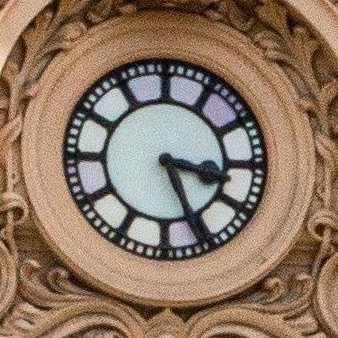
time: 3:26
